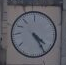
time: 4:24
